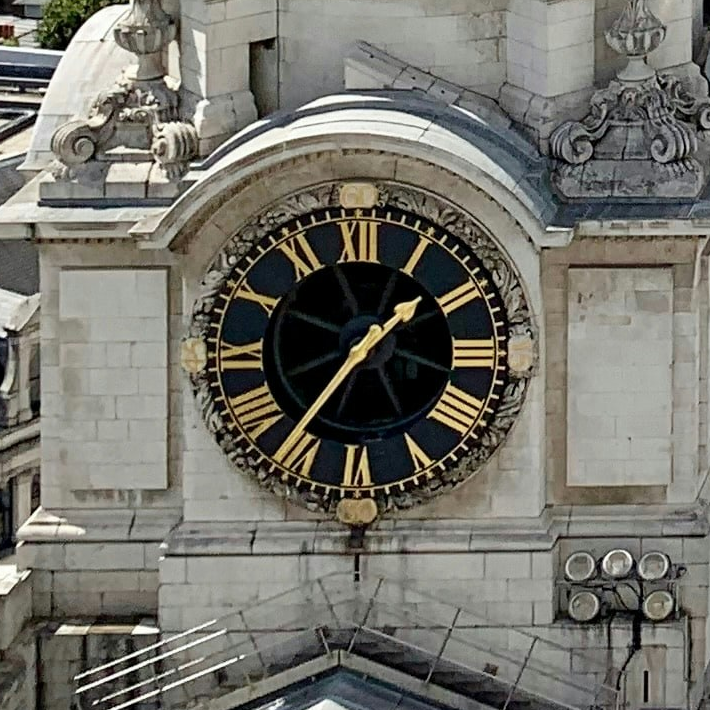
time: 1:36
